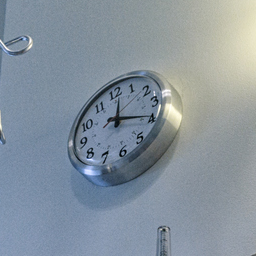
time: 12:19
